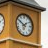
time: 1:50
